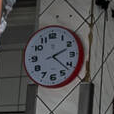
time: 2:22
